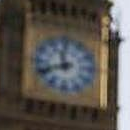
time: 11:41
